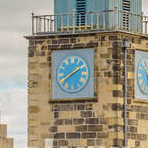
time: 1:39
